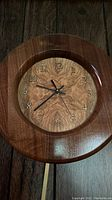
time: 9:38
